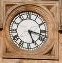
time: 5:17
